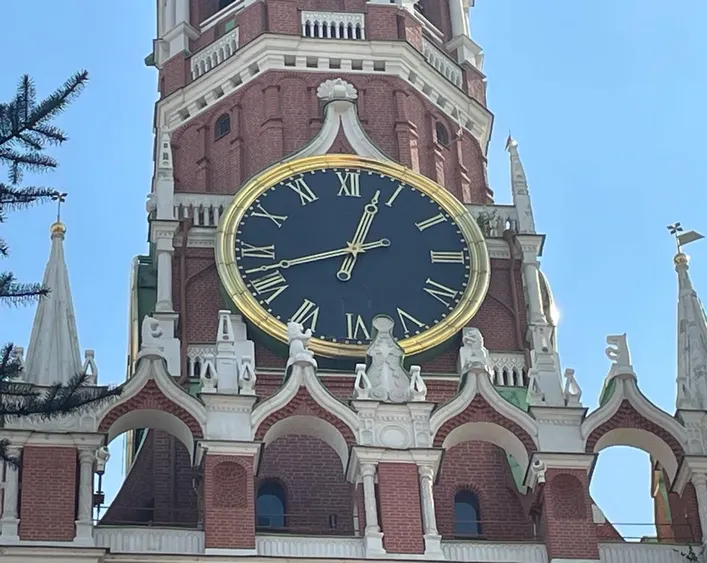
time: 12:42
